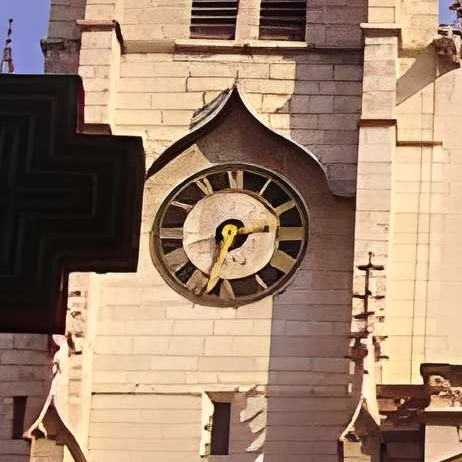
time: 2:33
